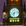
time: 7:32
